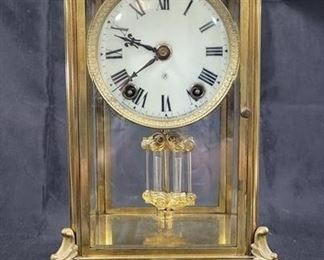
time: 9:38
